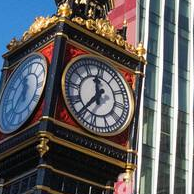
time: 11:35
